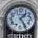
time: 1:24
